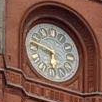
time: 5:46
